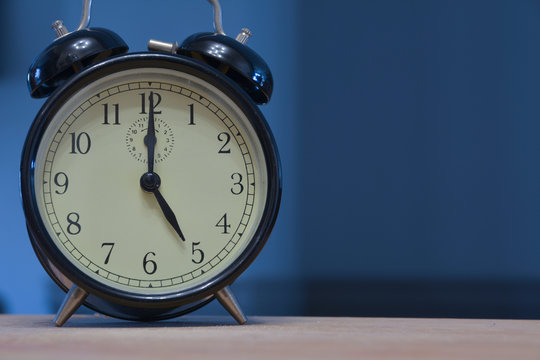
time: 5:00
